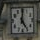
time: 5:00
